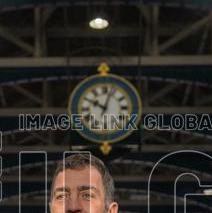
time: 10:03
